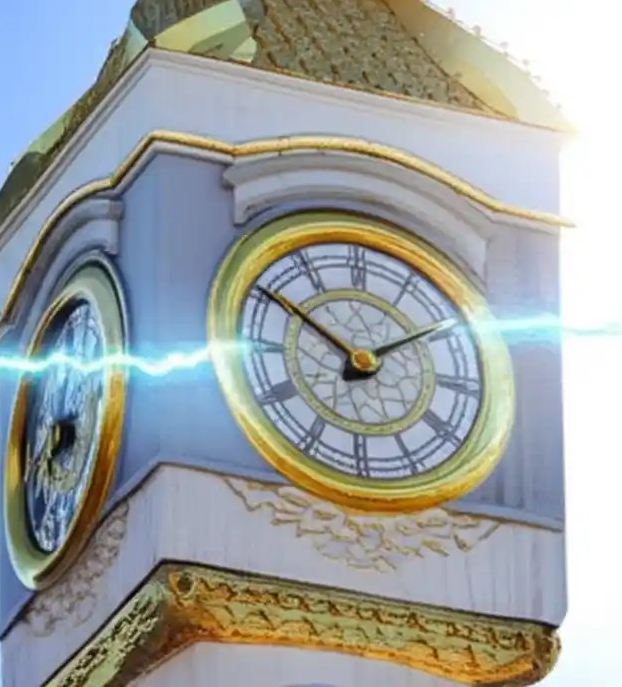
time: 1:50
